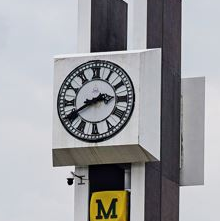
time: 2:40
